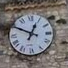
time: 12:49
